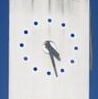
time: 4:27
